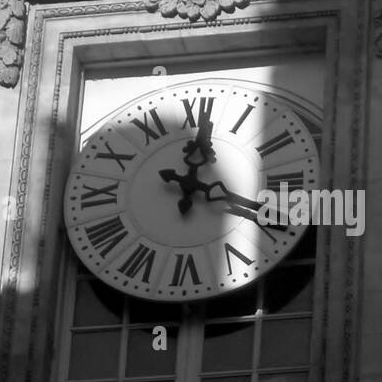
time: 12:19
